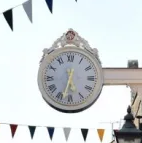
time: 5:32
